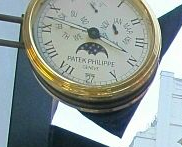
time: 4:18
